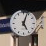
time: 5:03
